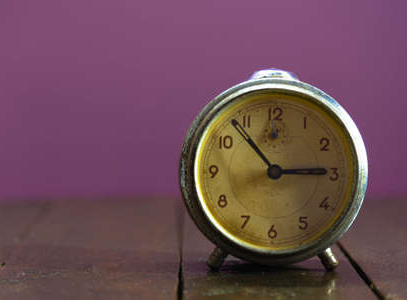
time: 2:53
